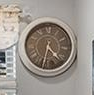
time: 4:32
